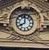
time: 7:59
